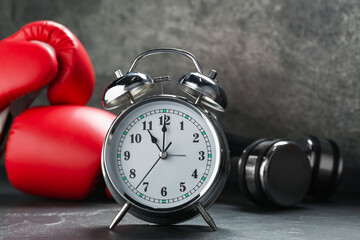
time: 11:00
